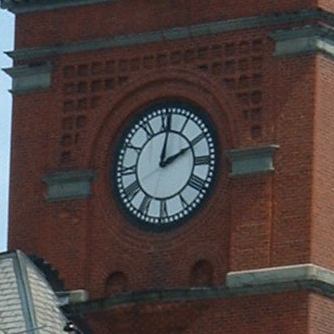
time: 2:01
